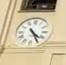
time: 4:24
